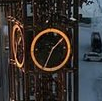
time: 1:33
